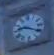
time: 9:20
